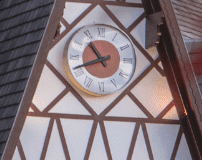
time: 10:41
